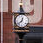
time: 12:37
